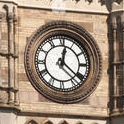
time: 12:21
